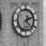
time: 2:23
